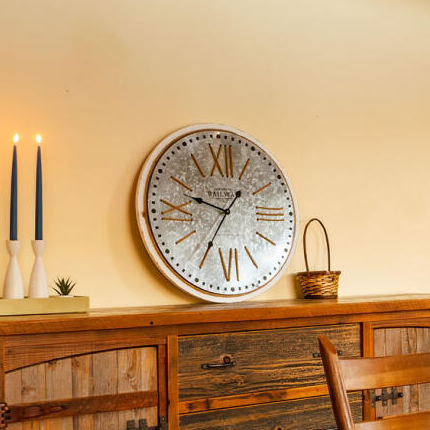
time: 9:35
